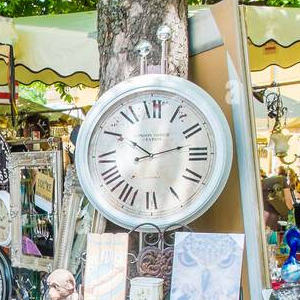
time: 10:12
